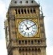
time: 11:09
